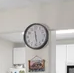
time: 5:28
